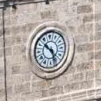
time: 10:26
